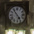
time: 4:54
